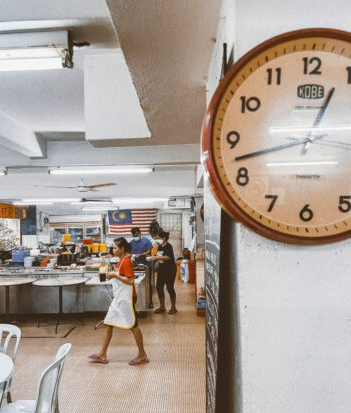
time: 12:42
